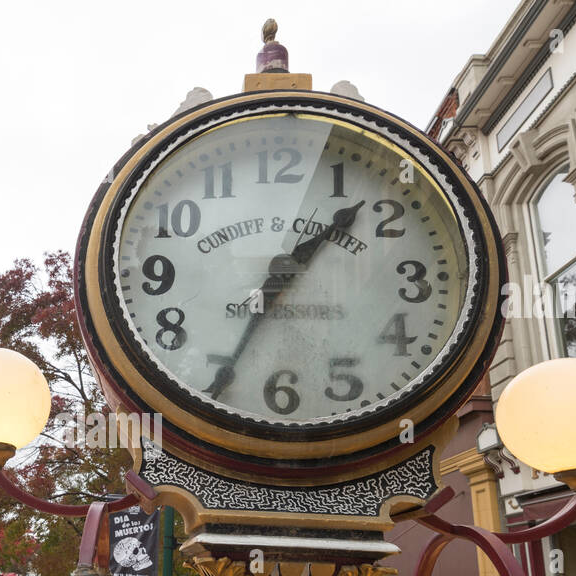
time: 1:34
